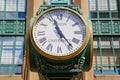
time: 11:23
